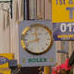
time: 11:42
